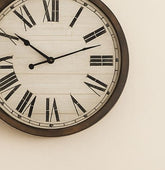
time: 10:11
